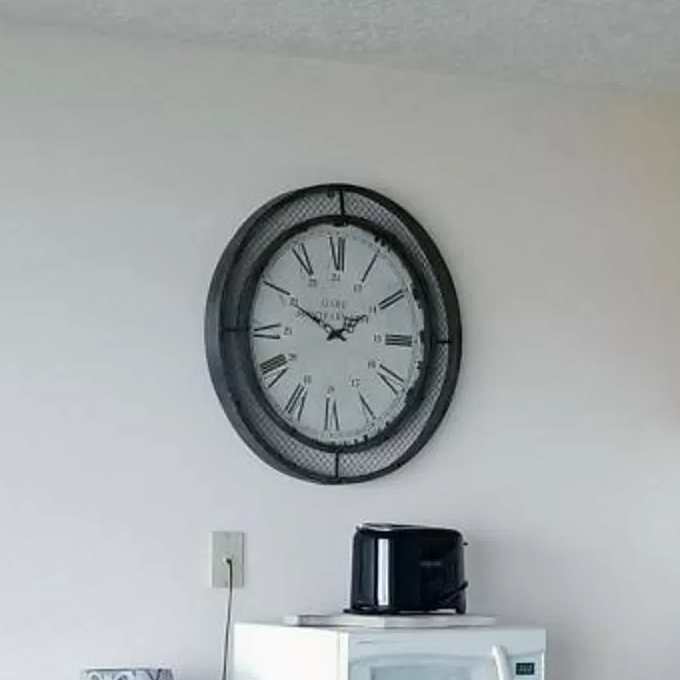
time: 1:49
